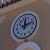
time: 12:12
